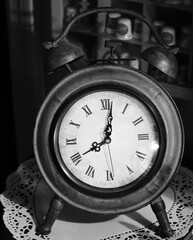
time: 8:01
